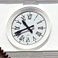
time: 10:41
